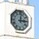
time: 3:01
